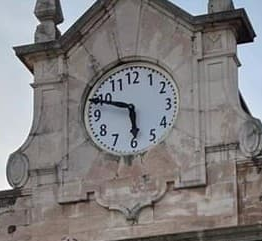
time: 5:48
